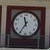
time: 11:35
